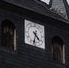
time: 4:31
